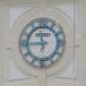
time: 11:45
